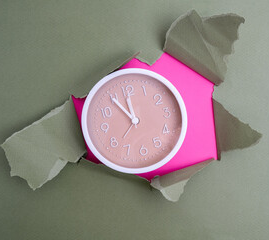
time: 11:54
